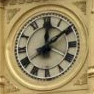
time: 12:09
